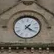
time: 1:20
